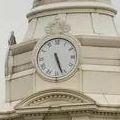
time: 5:26
